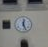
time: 12:26
